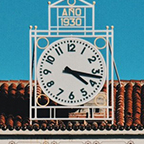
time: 4:16
